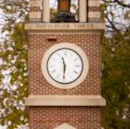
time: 11:30
